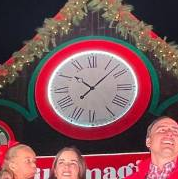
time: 10:07
